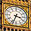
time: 3:33
